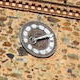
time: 2:12
